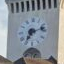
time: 7:12
